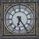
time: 6:24
